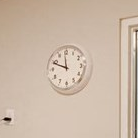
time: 11:48
